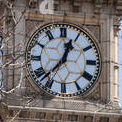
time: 12:37
